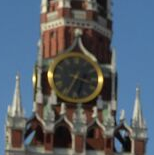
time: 3:34
